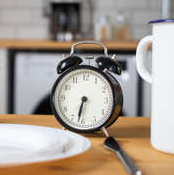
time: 6:32
